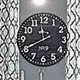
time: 11:40
